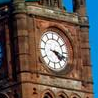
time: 4:17
